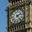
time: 2:23
